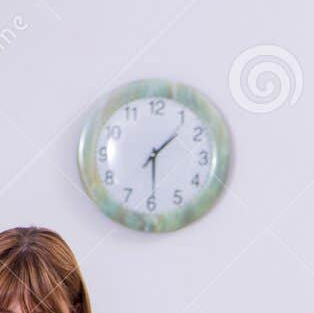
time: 1:29
